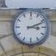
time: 3:11
